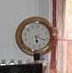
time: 5:17
